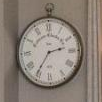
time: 2:35
